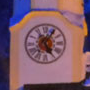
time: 5:05
